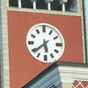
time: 5:38
